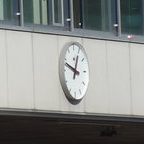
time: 12:48
